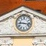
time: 9:16
